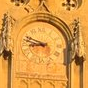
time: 8:48
